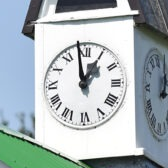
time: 12:58
